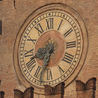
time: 8:33
